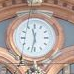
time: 11:32
